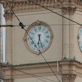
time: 6:27
